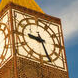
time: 9:26
